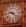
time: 9:22
